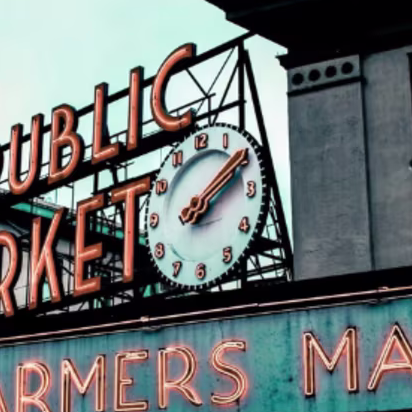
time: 2:09
